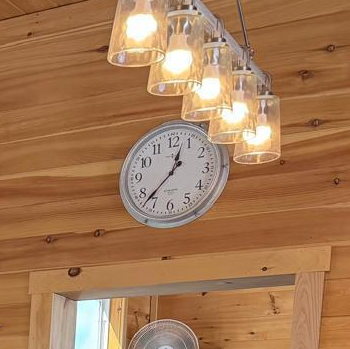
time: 12:37
